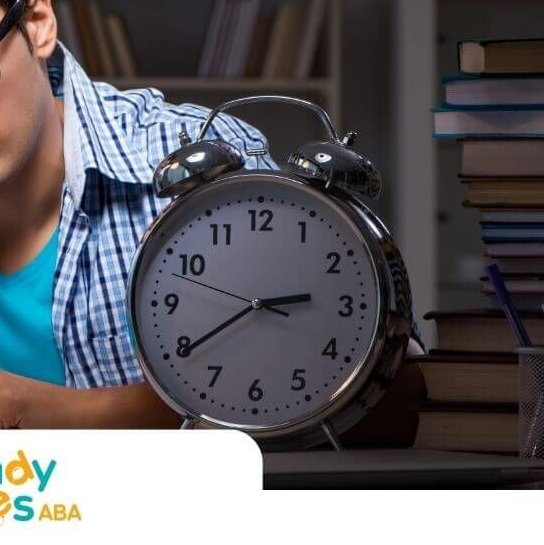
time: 2:39
